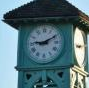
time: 9:10
